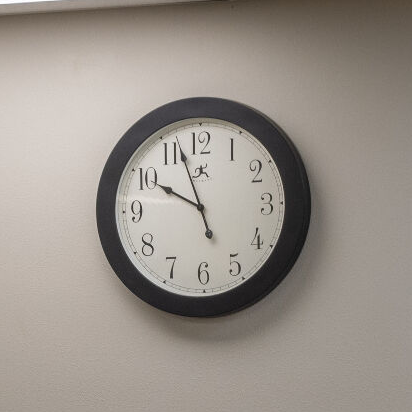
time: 9:56
